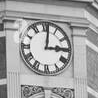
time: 3:01
